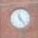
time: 11:23
